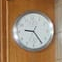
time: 9:24
